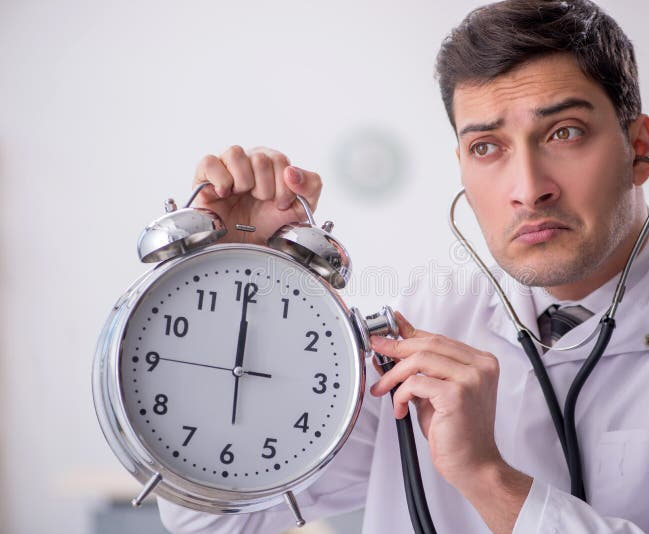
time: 12:00
